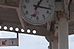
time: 1:17
